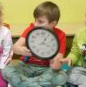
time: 1:18
